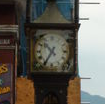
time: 10:35
